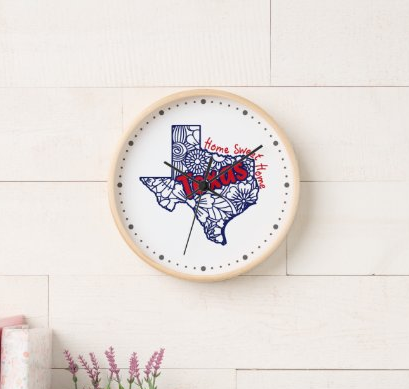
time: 9:09
